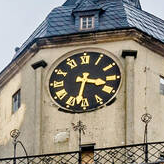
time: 3:32
